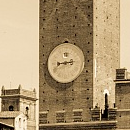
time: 8:43
